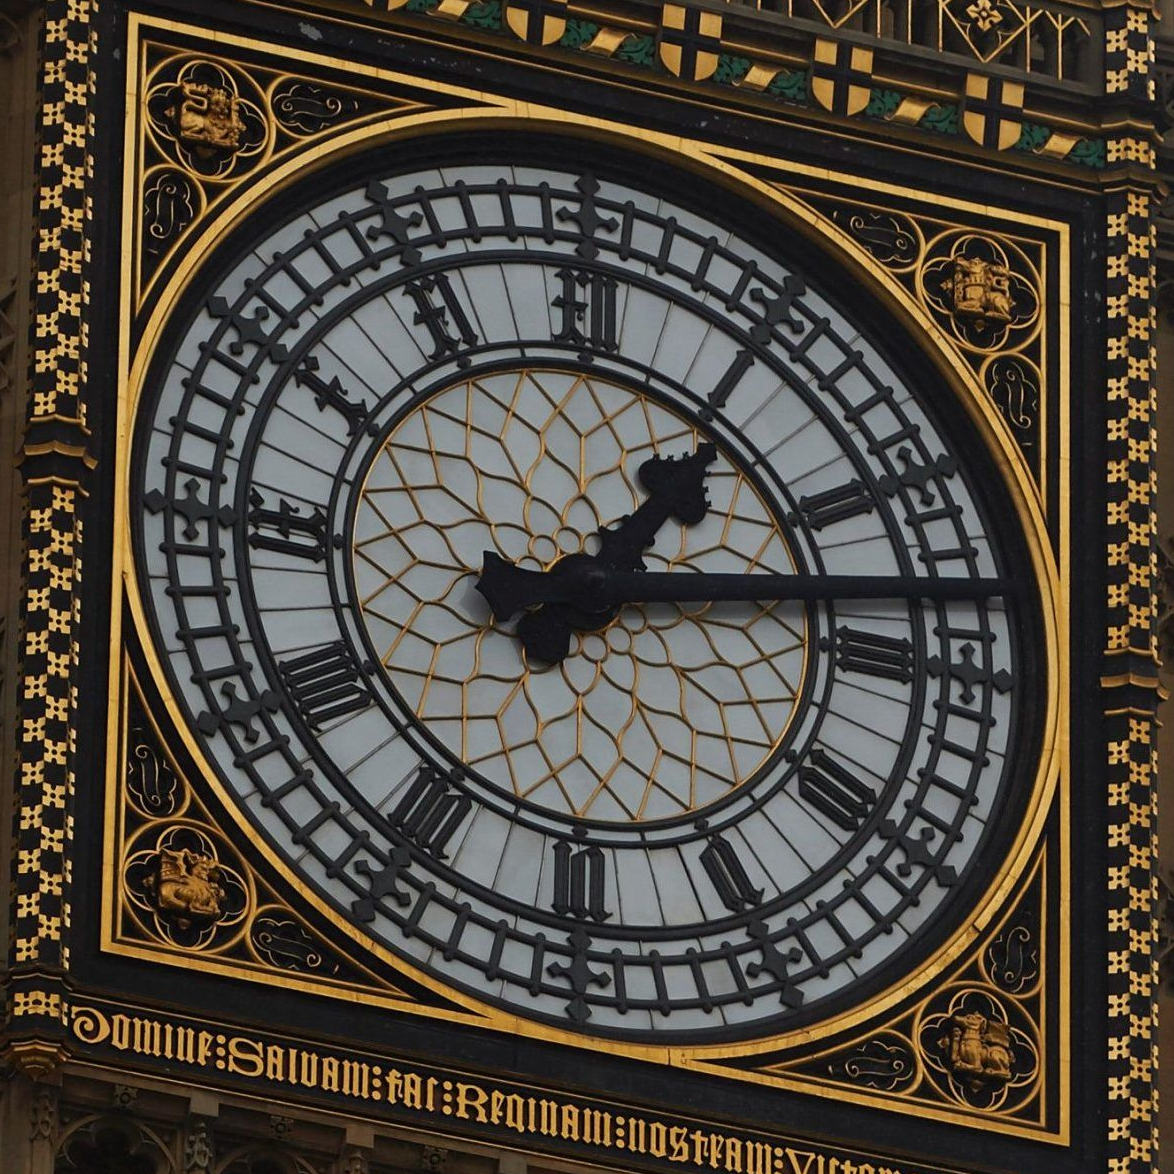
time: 1:12
